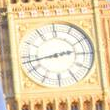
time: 2:43
